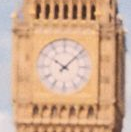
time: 10:07
